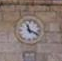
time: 11:18
